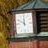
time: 11:49
